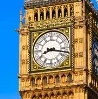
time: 8:17
